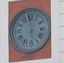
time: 5:58
